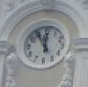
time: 11:55
